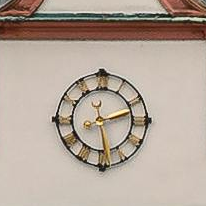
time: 2:28
